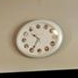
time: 10:34
